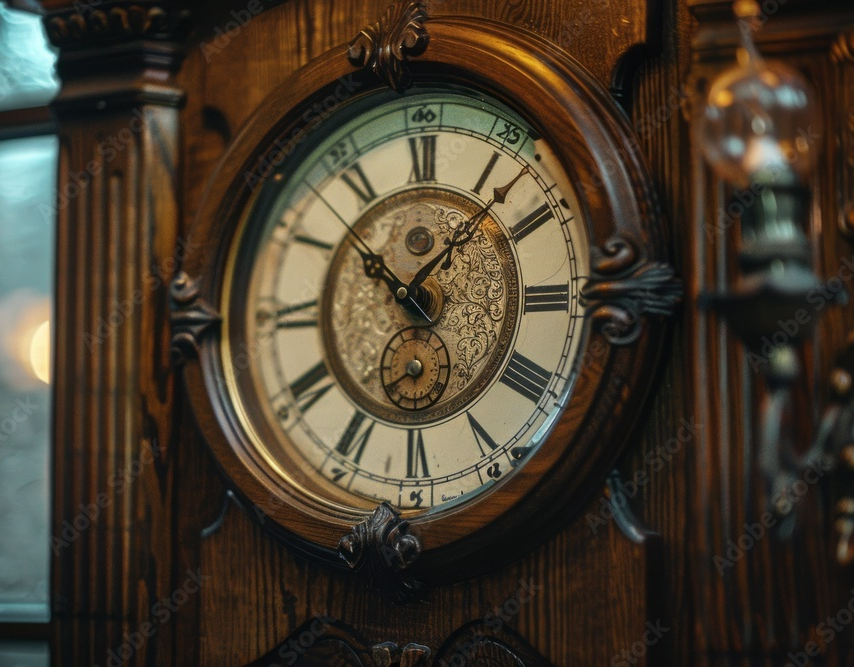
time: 10:07
